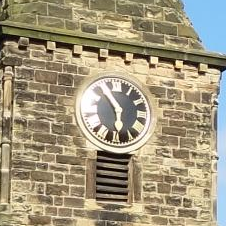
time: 5:54
